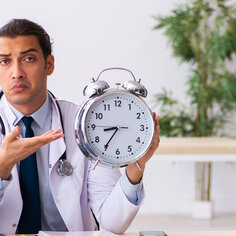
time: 8:35
